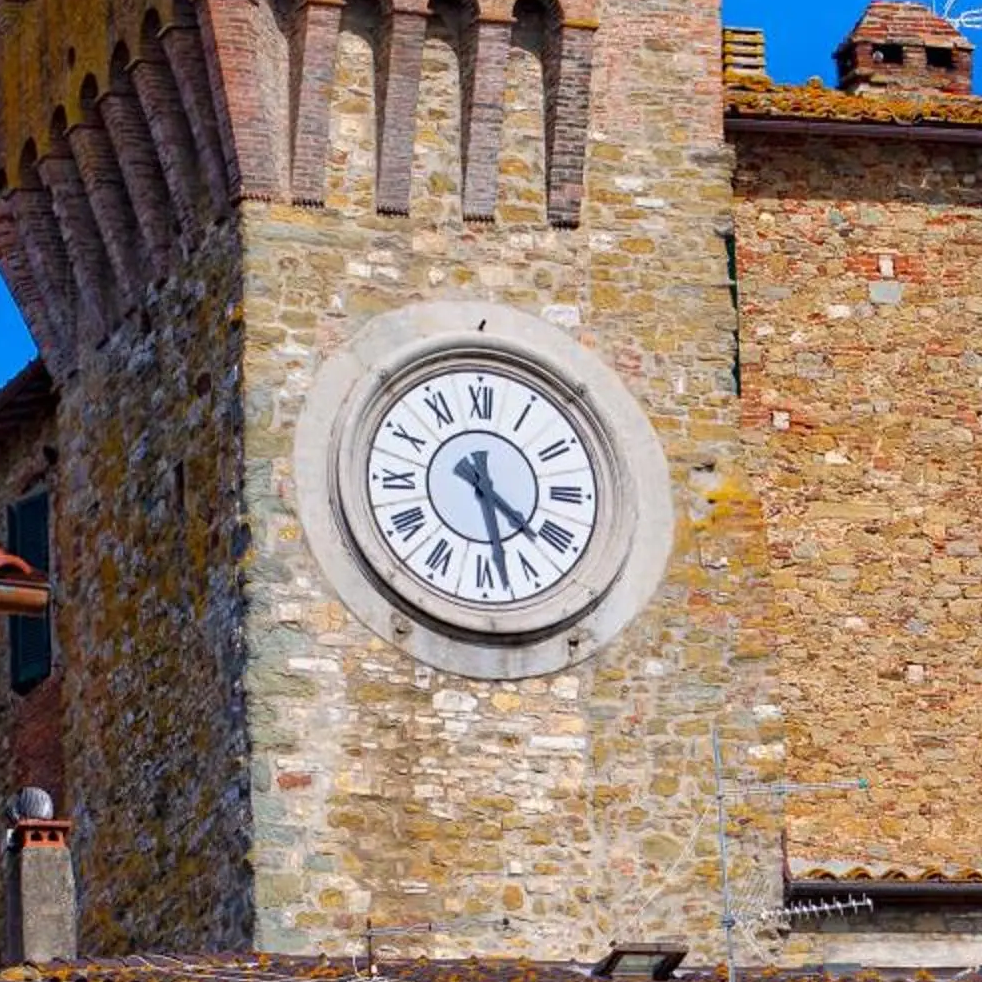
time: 4:28
